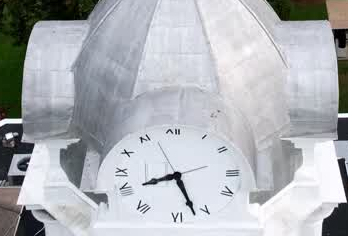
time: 8:27
